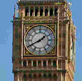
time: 1:40
